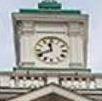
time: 11:41
